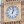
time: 1:02
